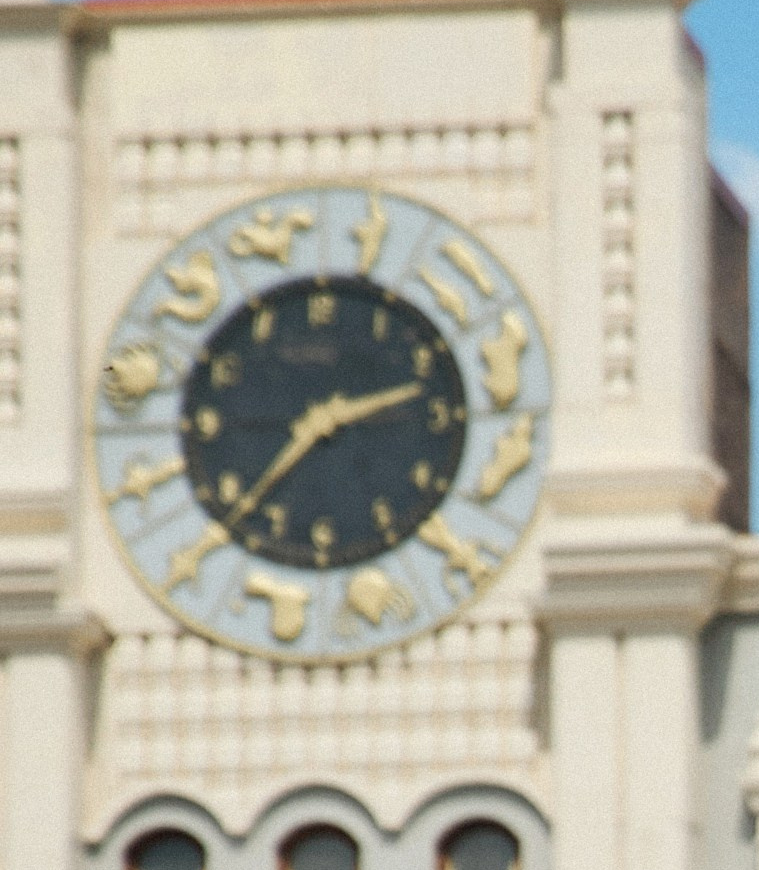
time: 2:36
